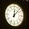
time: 12:07
